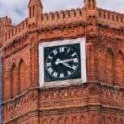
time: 4:13
